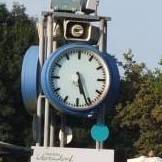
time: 5:26
